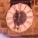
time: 11:32
